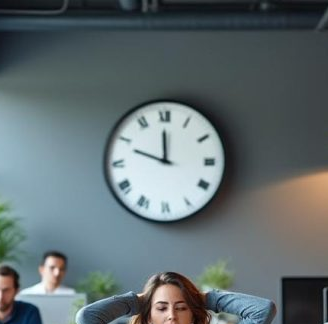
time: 11:48
